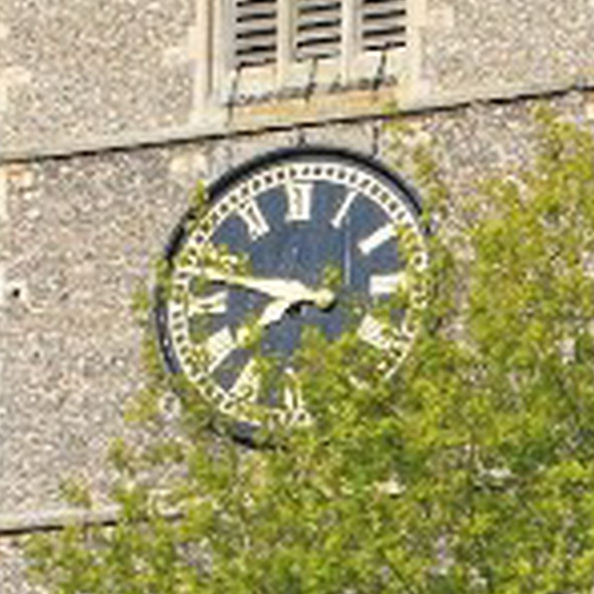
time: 7:47
